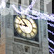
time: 8:52
